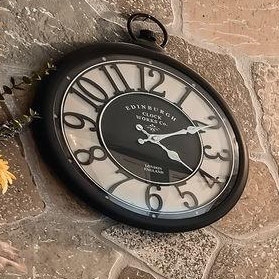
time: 4:10
